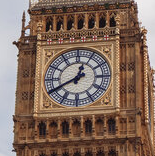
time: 12:40
